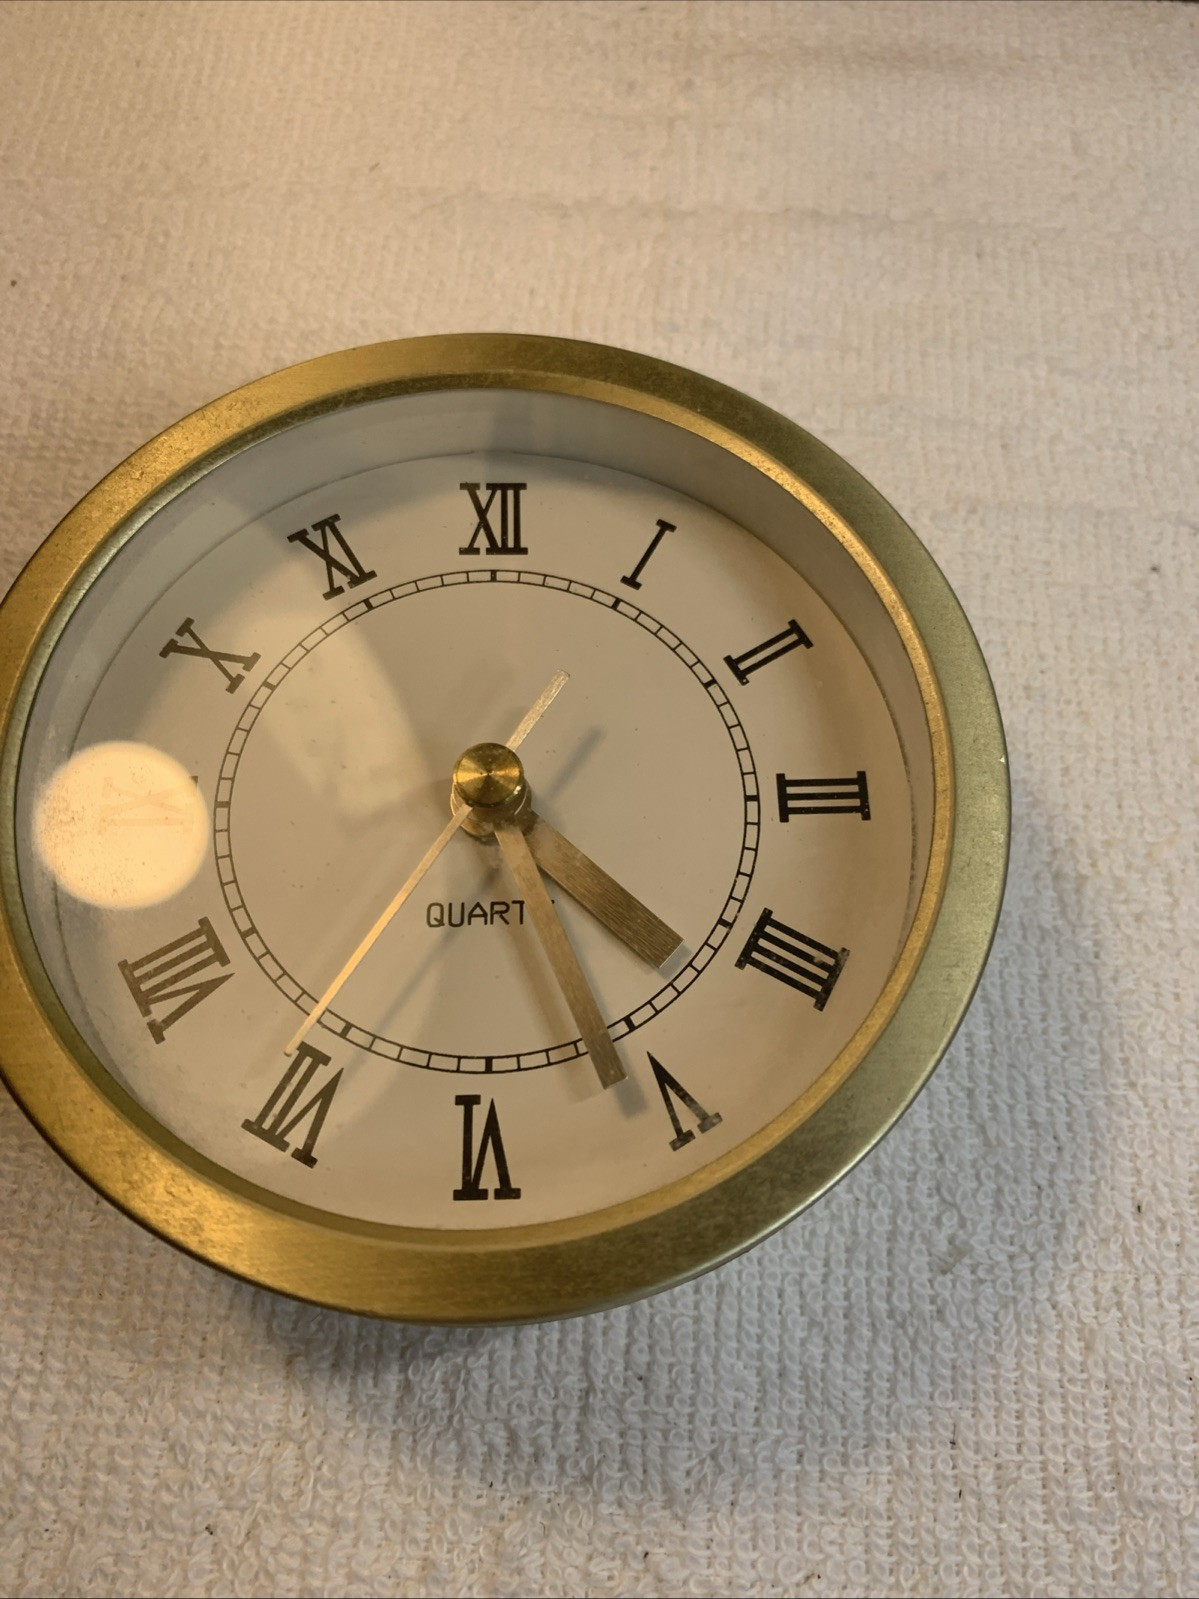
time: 4:26
